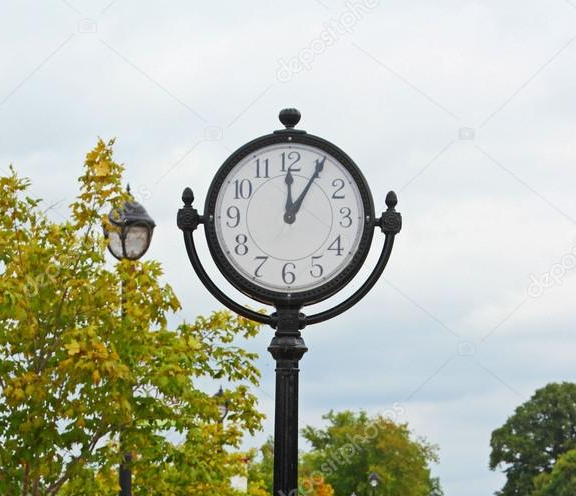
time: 12:05
